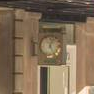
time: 5:03
